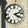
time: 4:12
